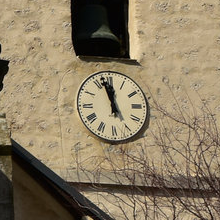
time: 11:57
